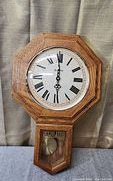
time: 5:59
